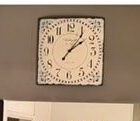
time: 2:06
